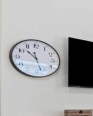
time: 10:27
